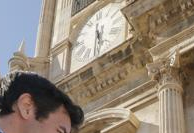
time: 5:30
